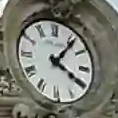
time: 4:06
